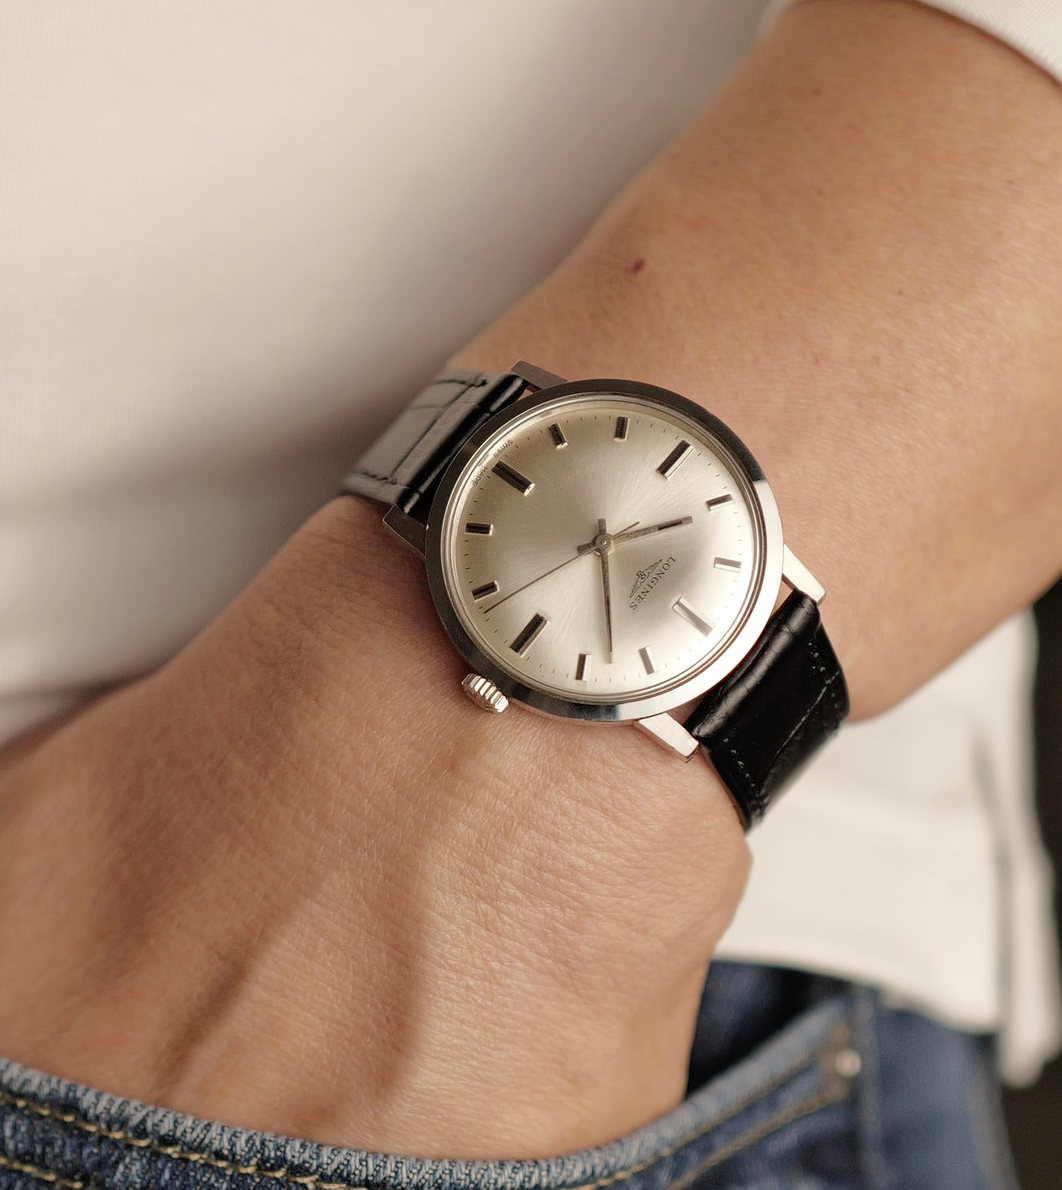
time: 2:27
